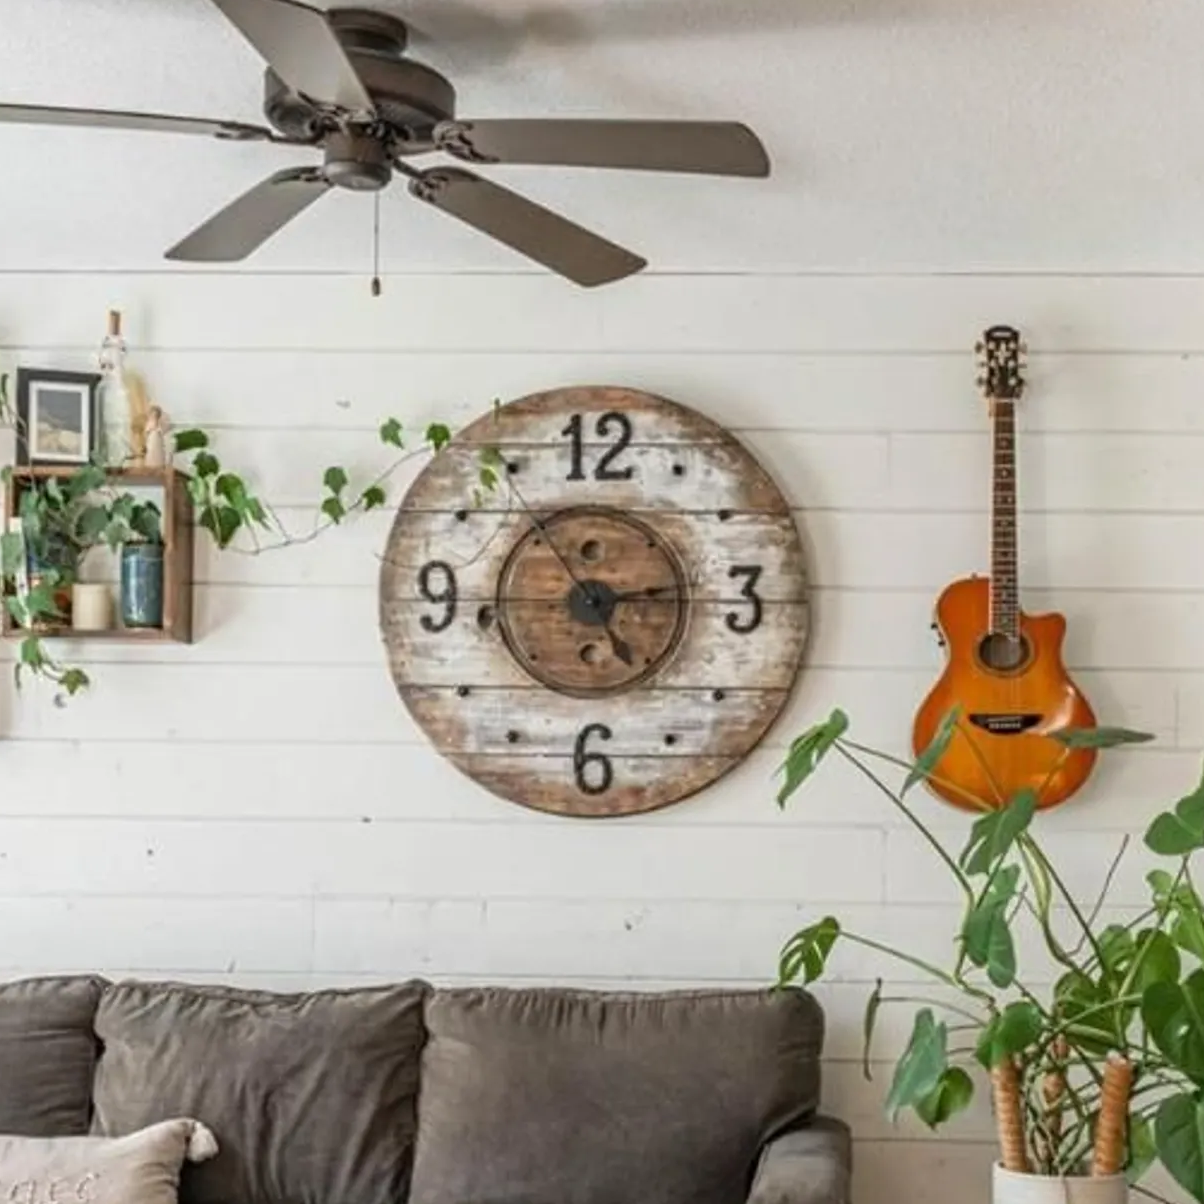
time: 5:14
